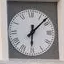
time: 6:07
